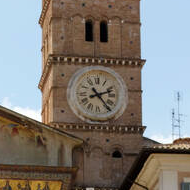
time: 2:23
